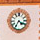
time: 4:35
